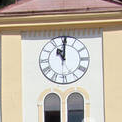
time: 11:00
